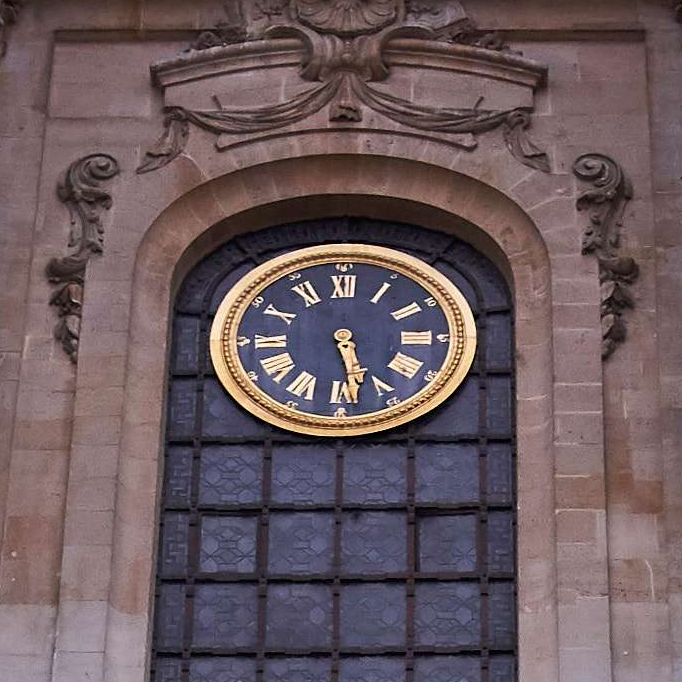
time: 5:28
